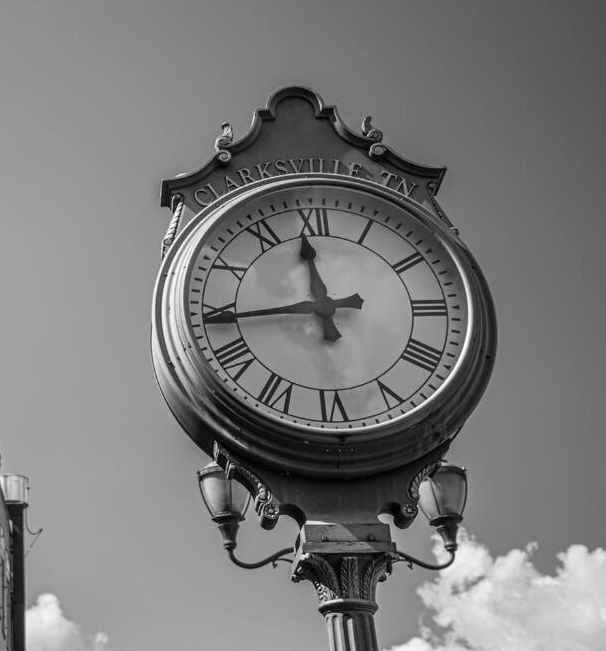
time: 11:43
